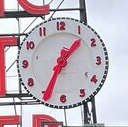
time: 1:34
